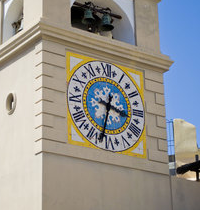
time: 3:32
